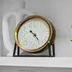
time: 10:23
